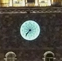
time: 7:36
